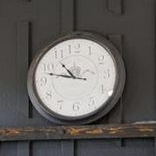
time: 10:47
